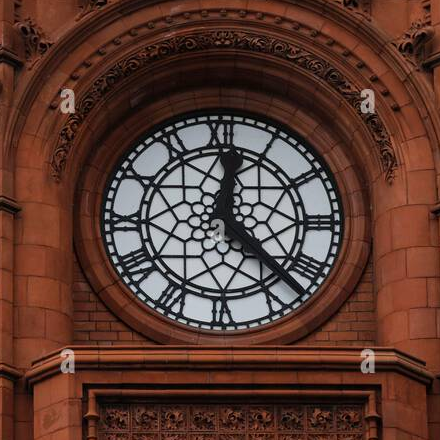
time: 12:22
